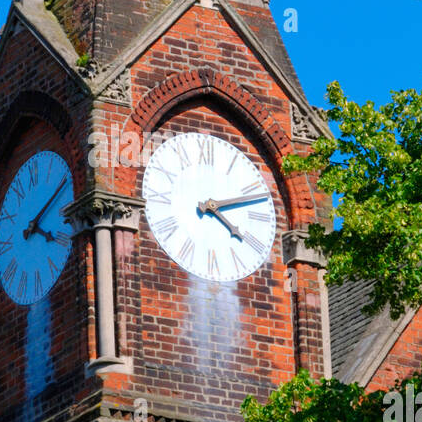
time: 4:12
